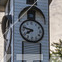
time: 7:47
